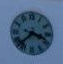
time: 3:37
